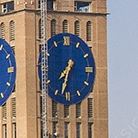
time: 7:32
